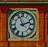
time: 11:12
